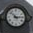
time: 2:52
